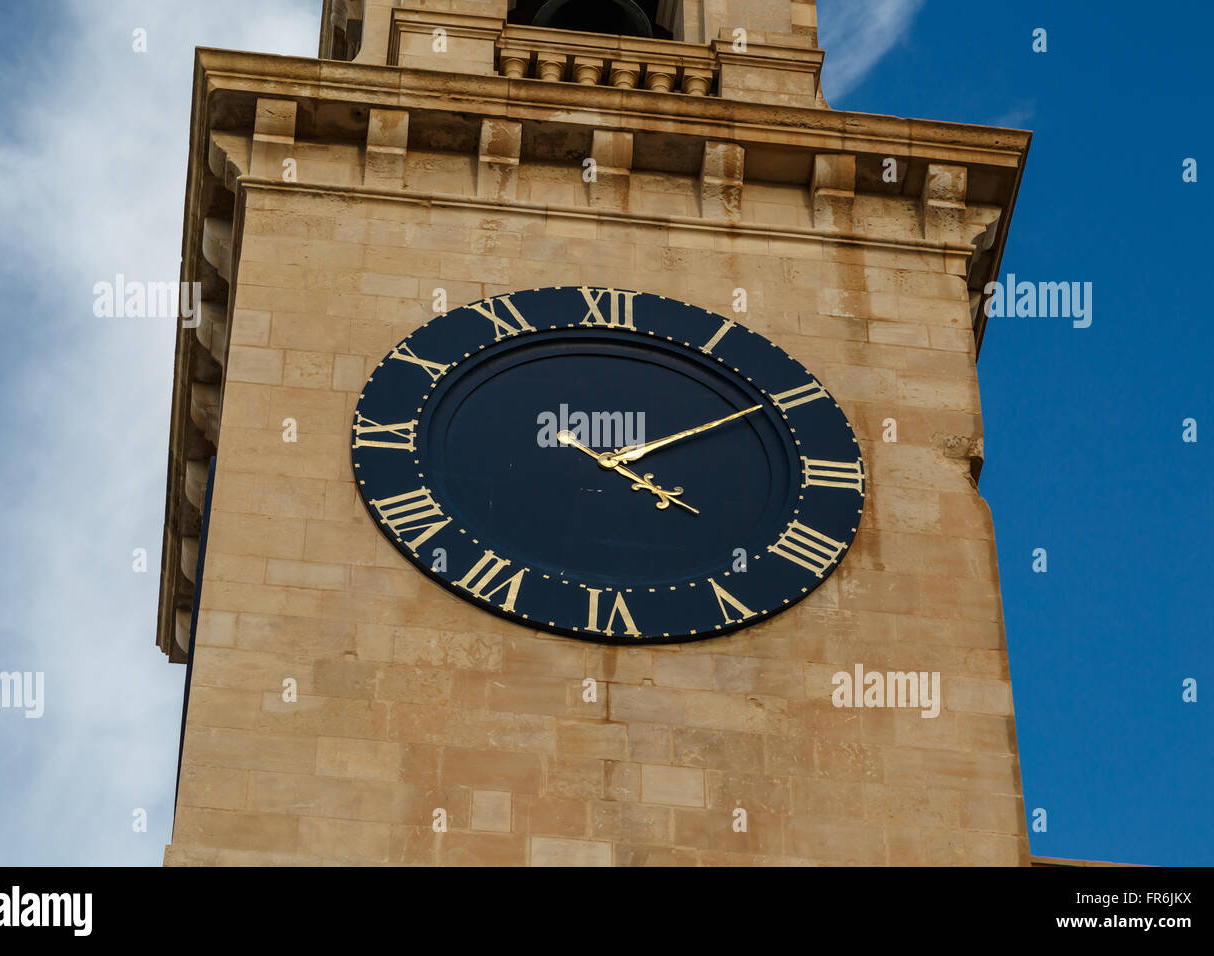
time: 4:09
